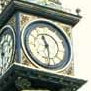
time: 11:29
